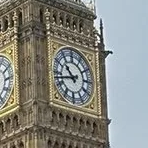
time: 10:42
